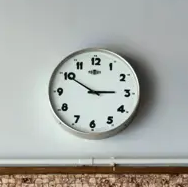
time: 2:50
